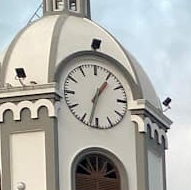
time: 1:32
